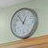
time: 12:53
